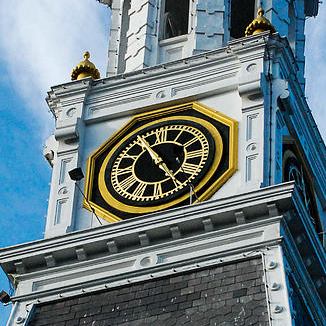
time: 4:54
